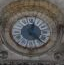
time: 12:22
